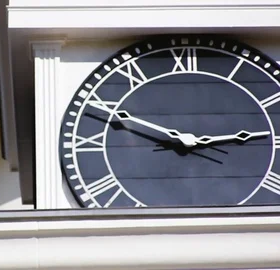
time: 2:49
